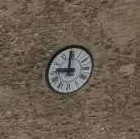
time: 9:00
